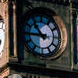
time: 10:45
